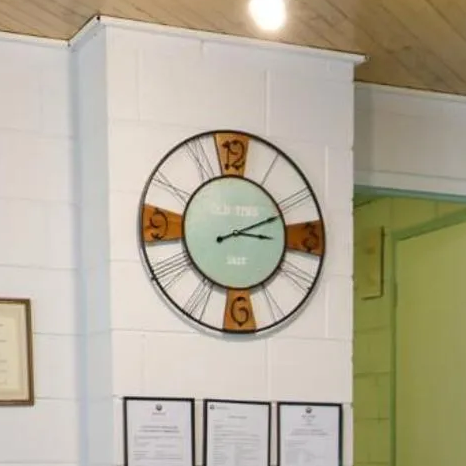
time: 3:11
